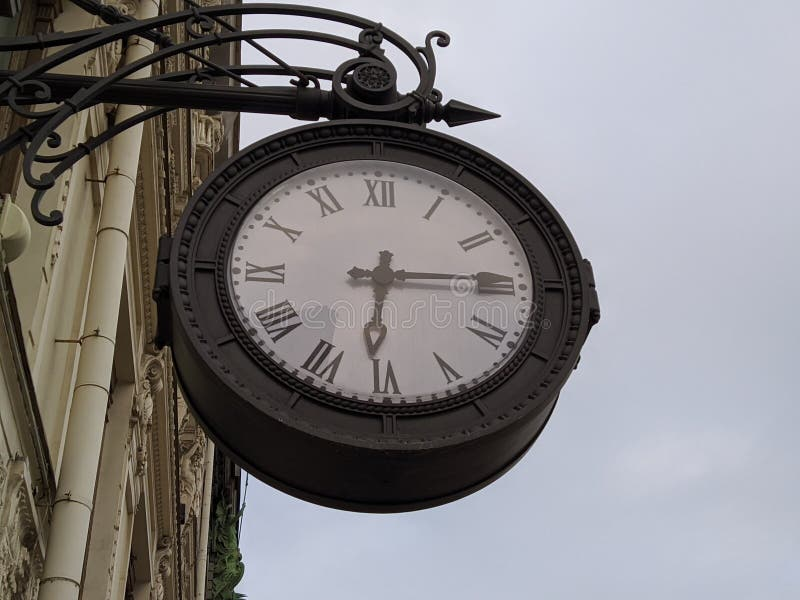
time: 6:14
